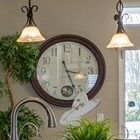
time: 3:26
